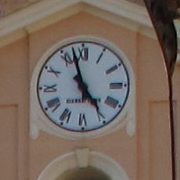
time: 4:57
